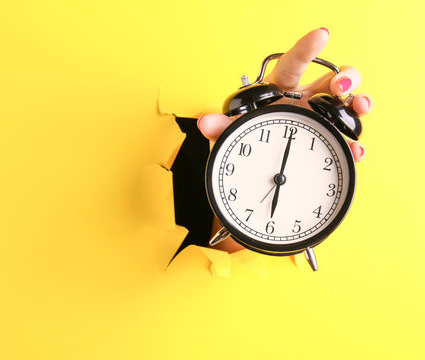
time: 6:00
